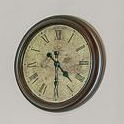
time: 4:30
